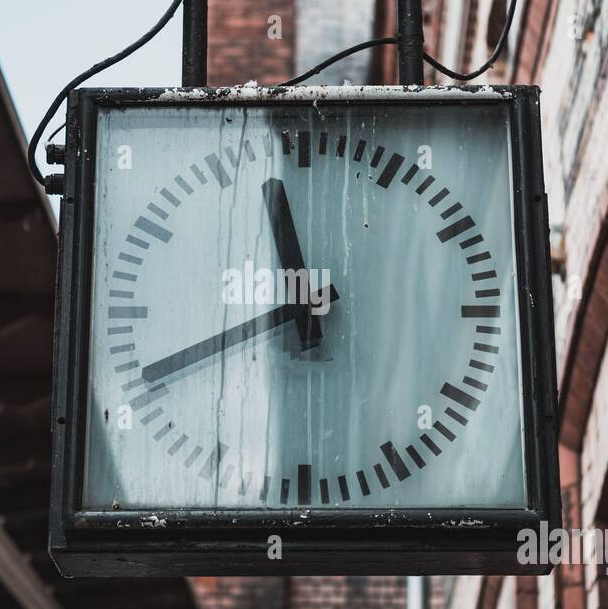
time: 11:41
